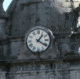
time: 1:20
